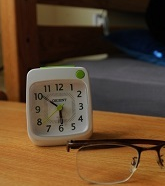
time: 5:50
